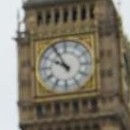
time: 9:54
